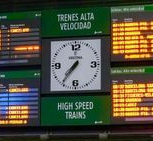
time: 7:36
